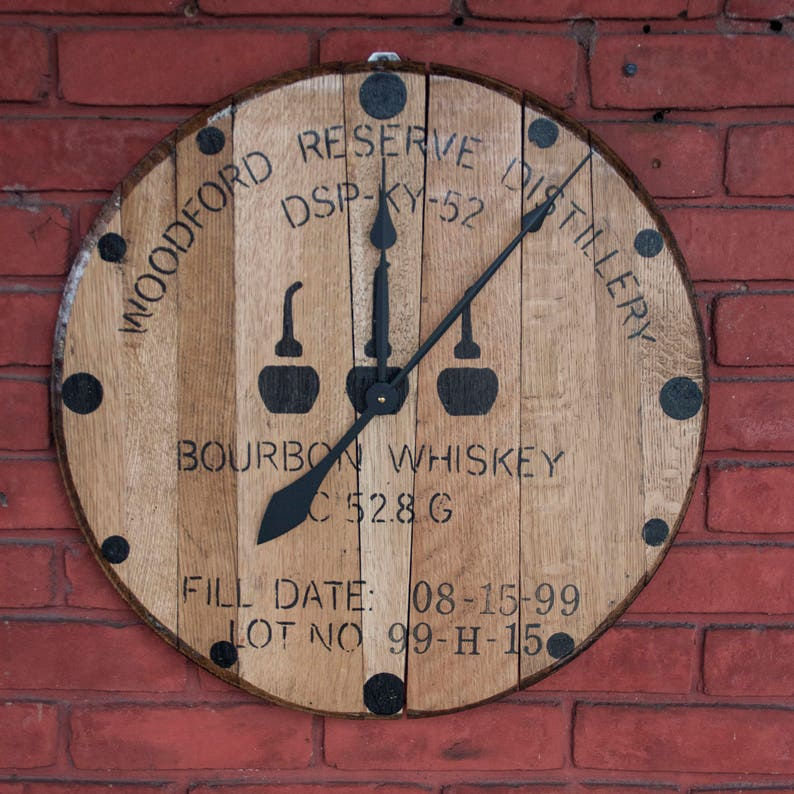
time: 8:07
